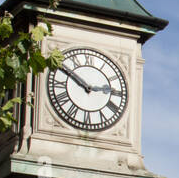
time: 2:50
